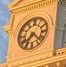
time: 7:22
